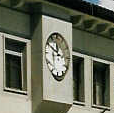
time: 11:49
